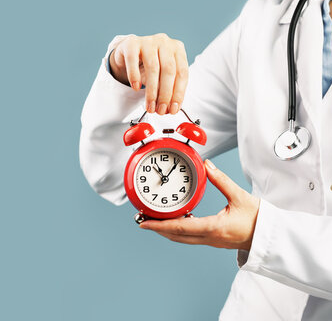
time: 11:06
